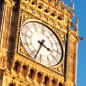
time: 3:33
